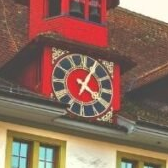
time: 4:04
